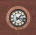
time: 1:16
